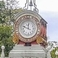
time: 11:48
